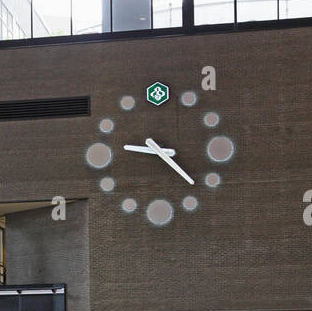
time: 9:22
